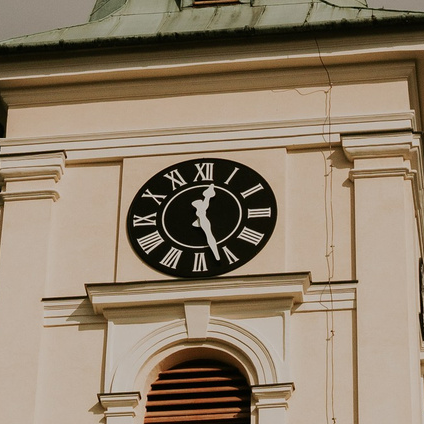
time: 12:26
